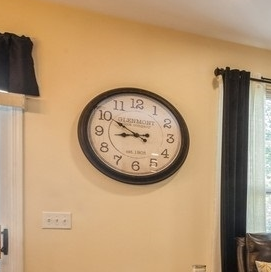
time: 8:50
